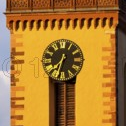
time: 7:33
